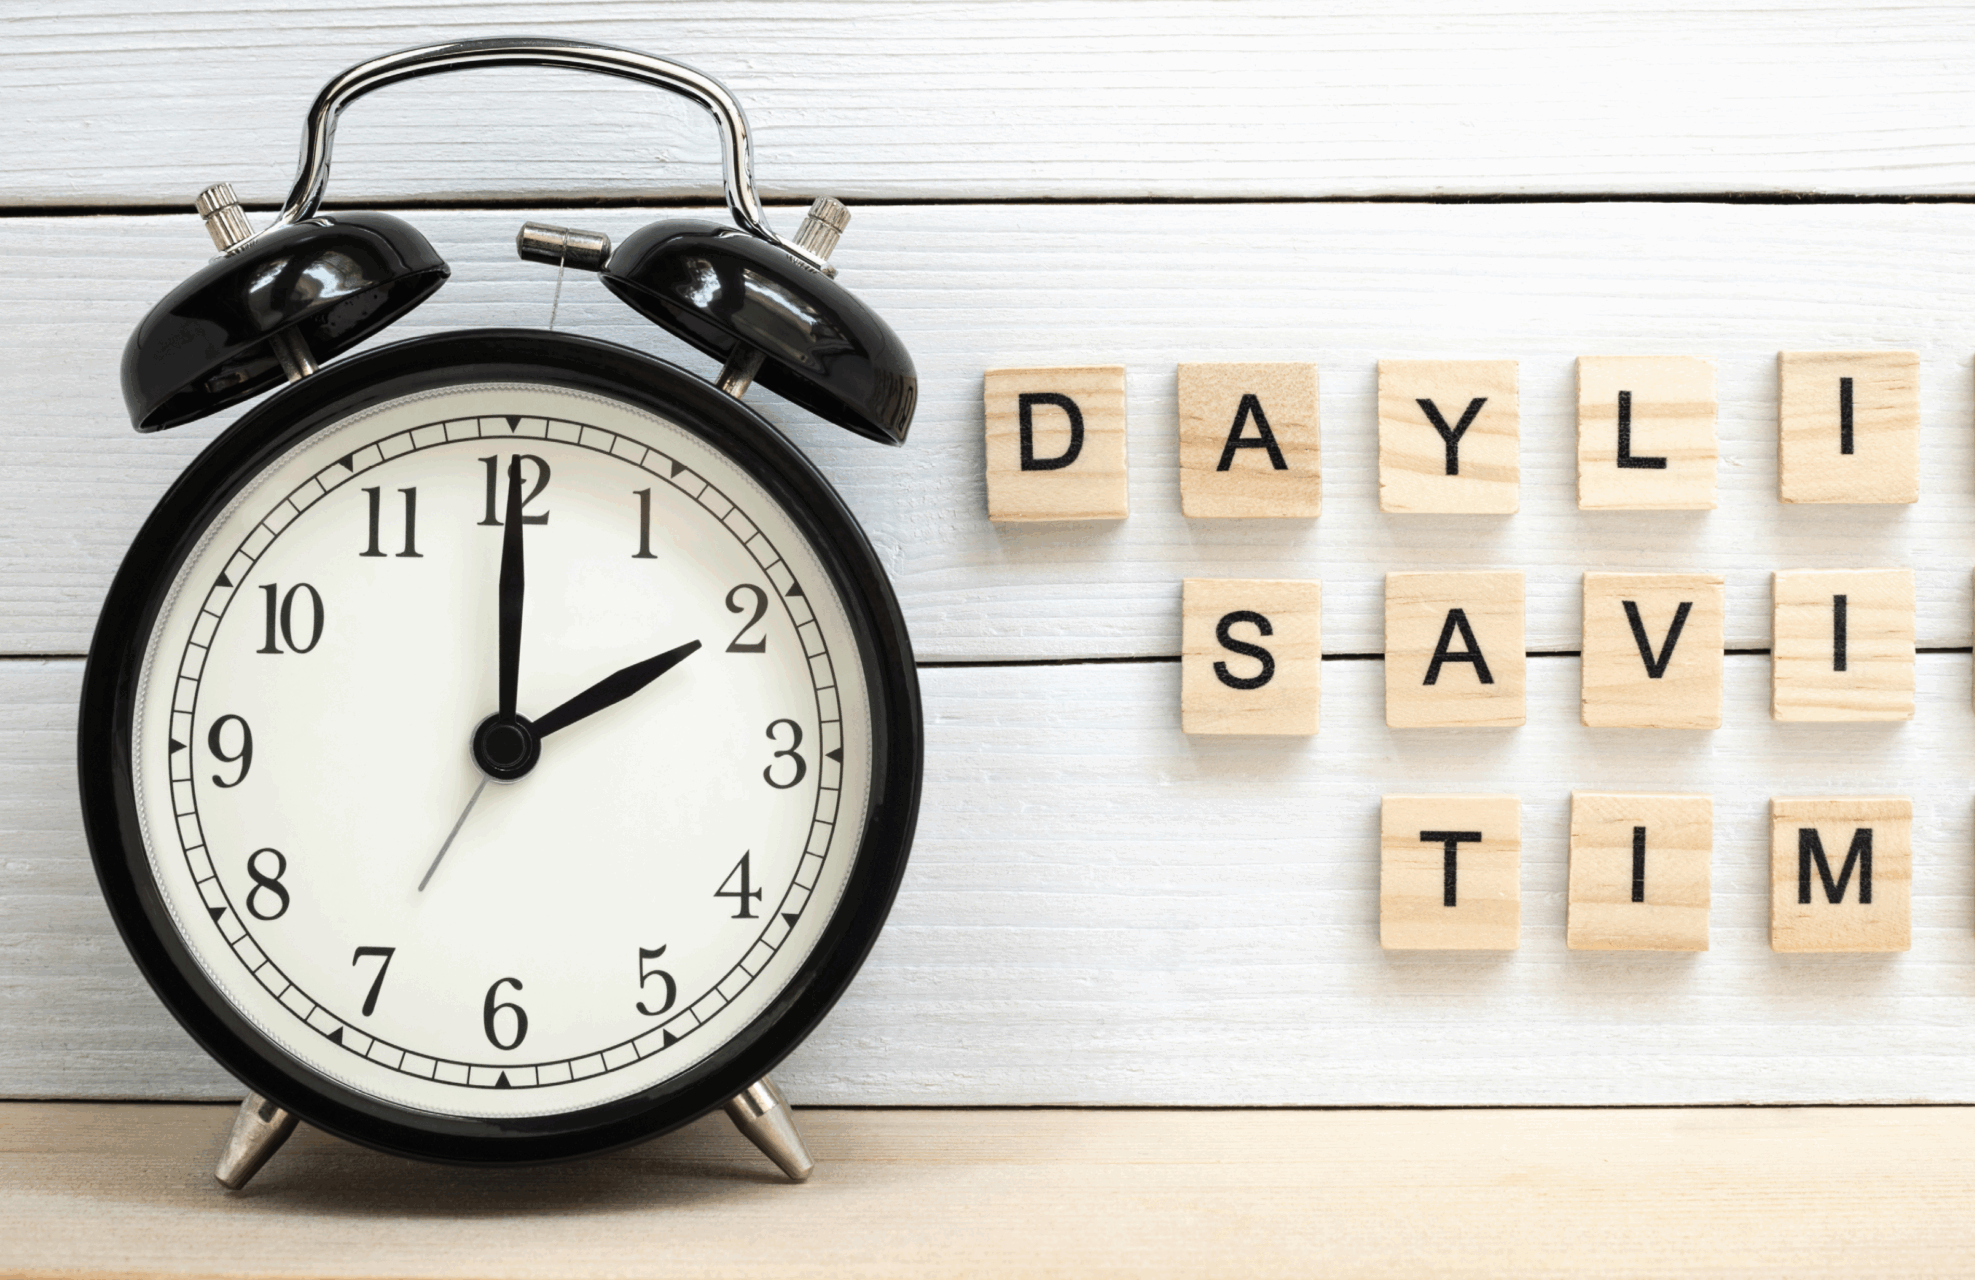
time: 2:00
